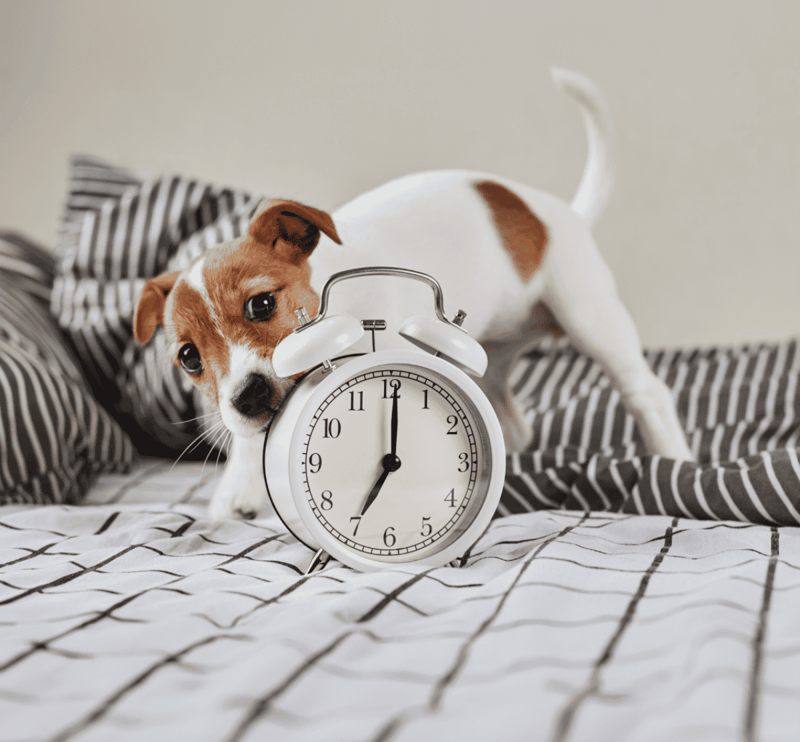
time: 7:00
